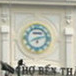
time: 8:12
